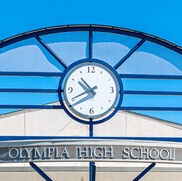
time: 10:40
